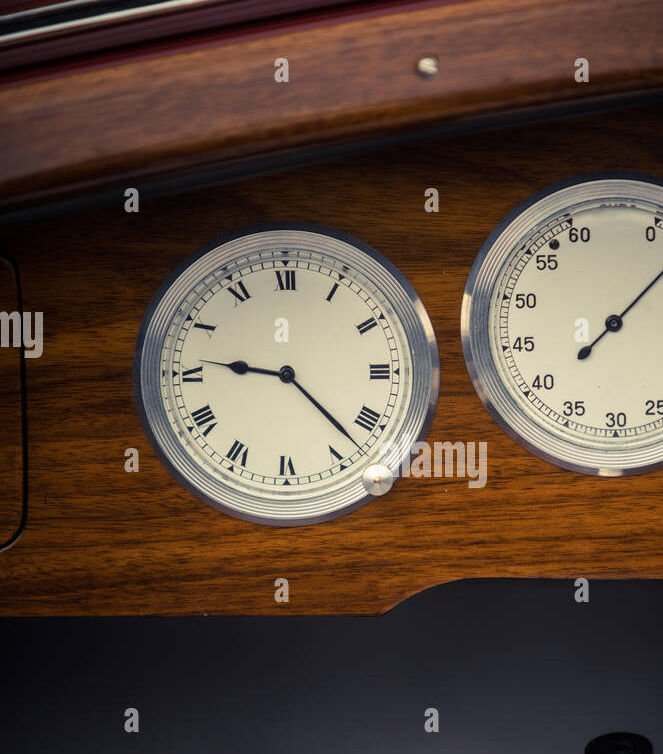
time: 9:22
